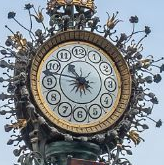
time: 10:47
